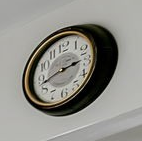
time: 2:42
